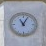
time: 11:04
